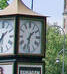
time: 1:32
